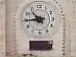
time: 10:44
